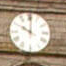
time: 10:00
